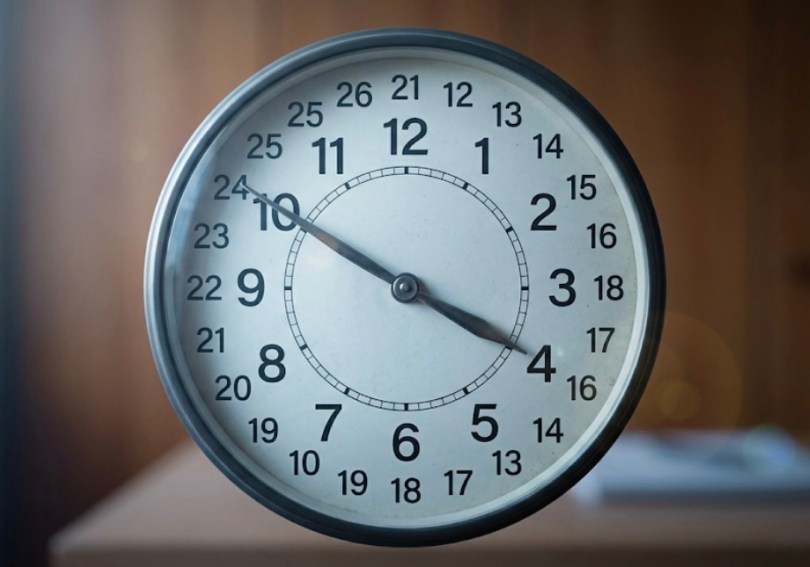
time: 3:50
